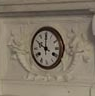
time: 10:00
